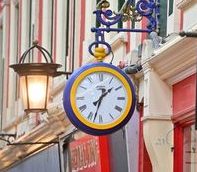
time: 1:32
